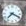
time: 7:18
